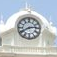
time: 2:40
